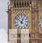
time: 12:52
